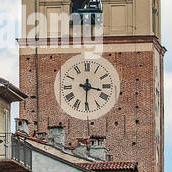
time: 3:30
